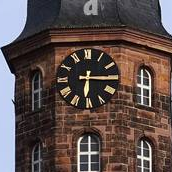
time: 6:15
